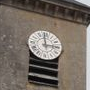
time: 2:59
